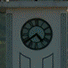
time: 4:38
